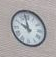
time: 9:57
